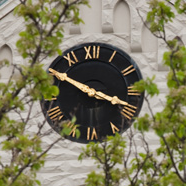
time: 3:49
